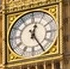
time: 12:24
